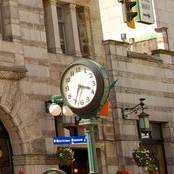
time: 3:34
